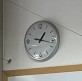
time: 1:17
